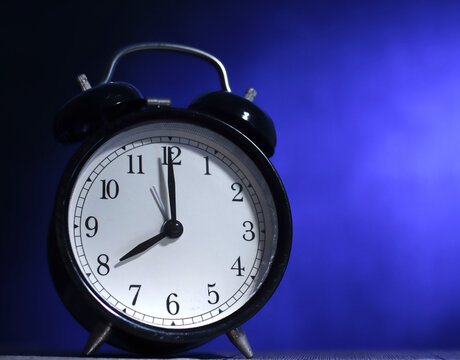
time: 7:59
